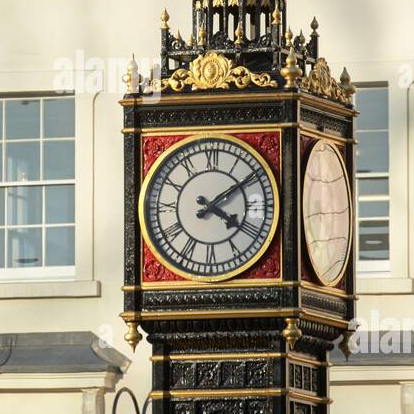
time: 4:09
